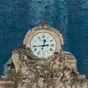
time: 12:43
